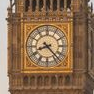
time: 8:23
